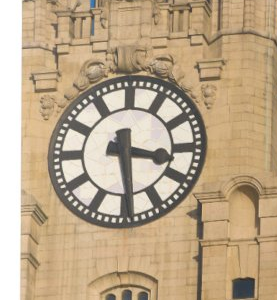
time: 3:28
